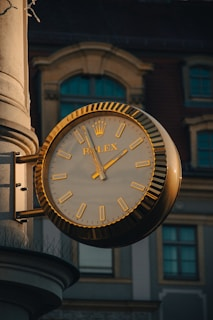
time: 1:57
